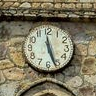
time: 5:26
